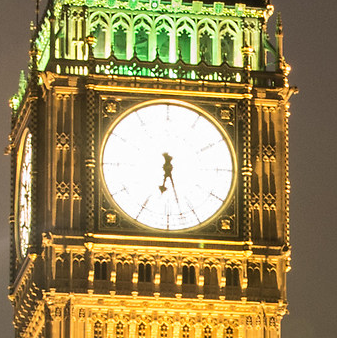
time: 6:27
